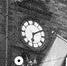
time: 6:10
